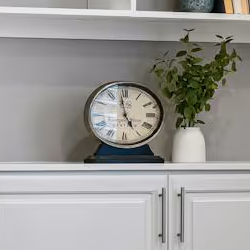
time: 4:58
